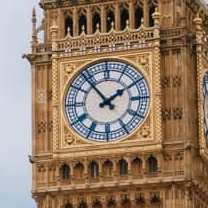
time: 1:53
